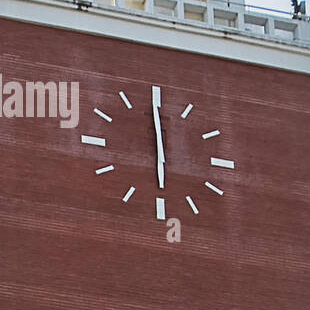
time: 5:59
